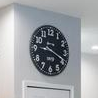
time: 9:19
